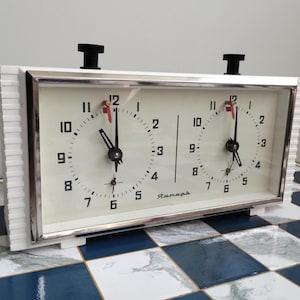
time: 11:00
